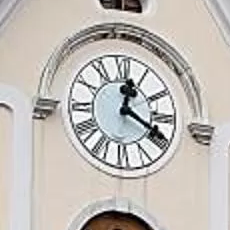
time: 12:19
